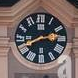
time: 2:40
